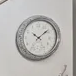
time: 10:08
